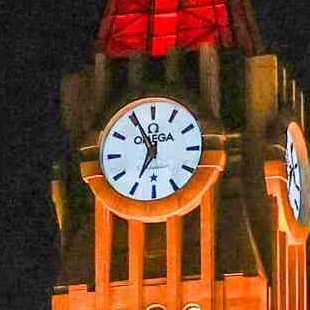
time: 6:55
